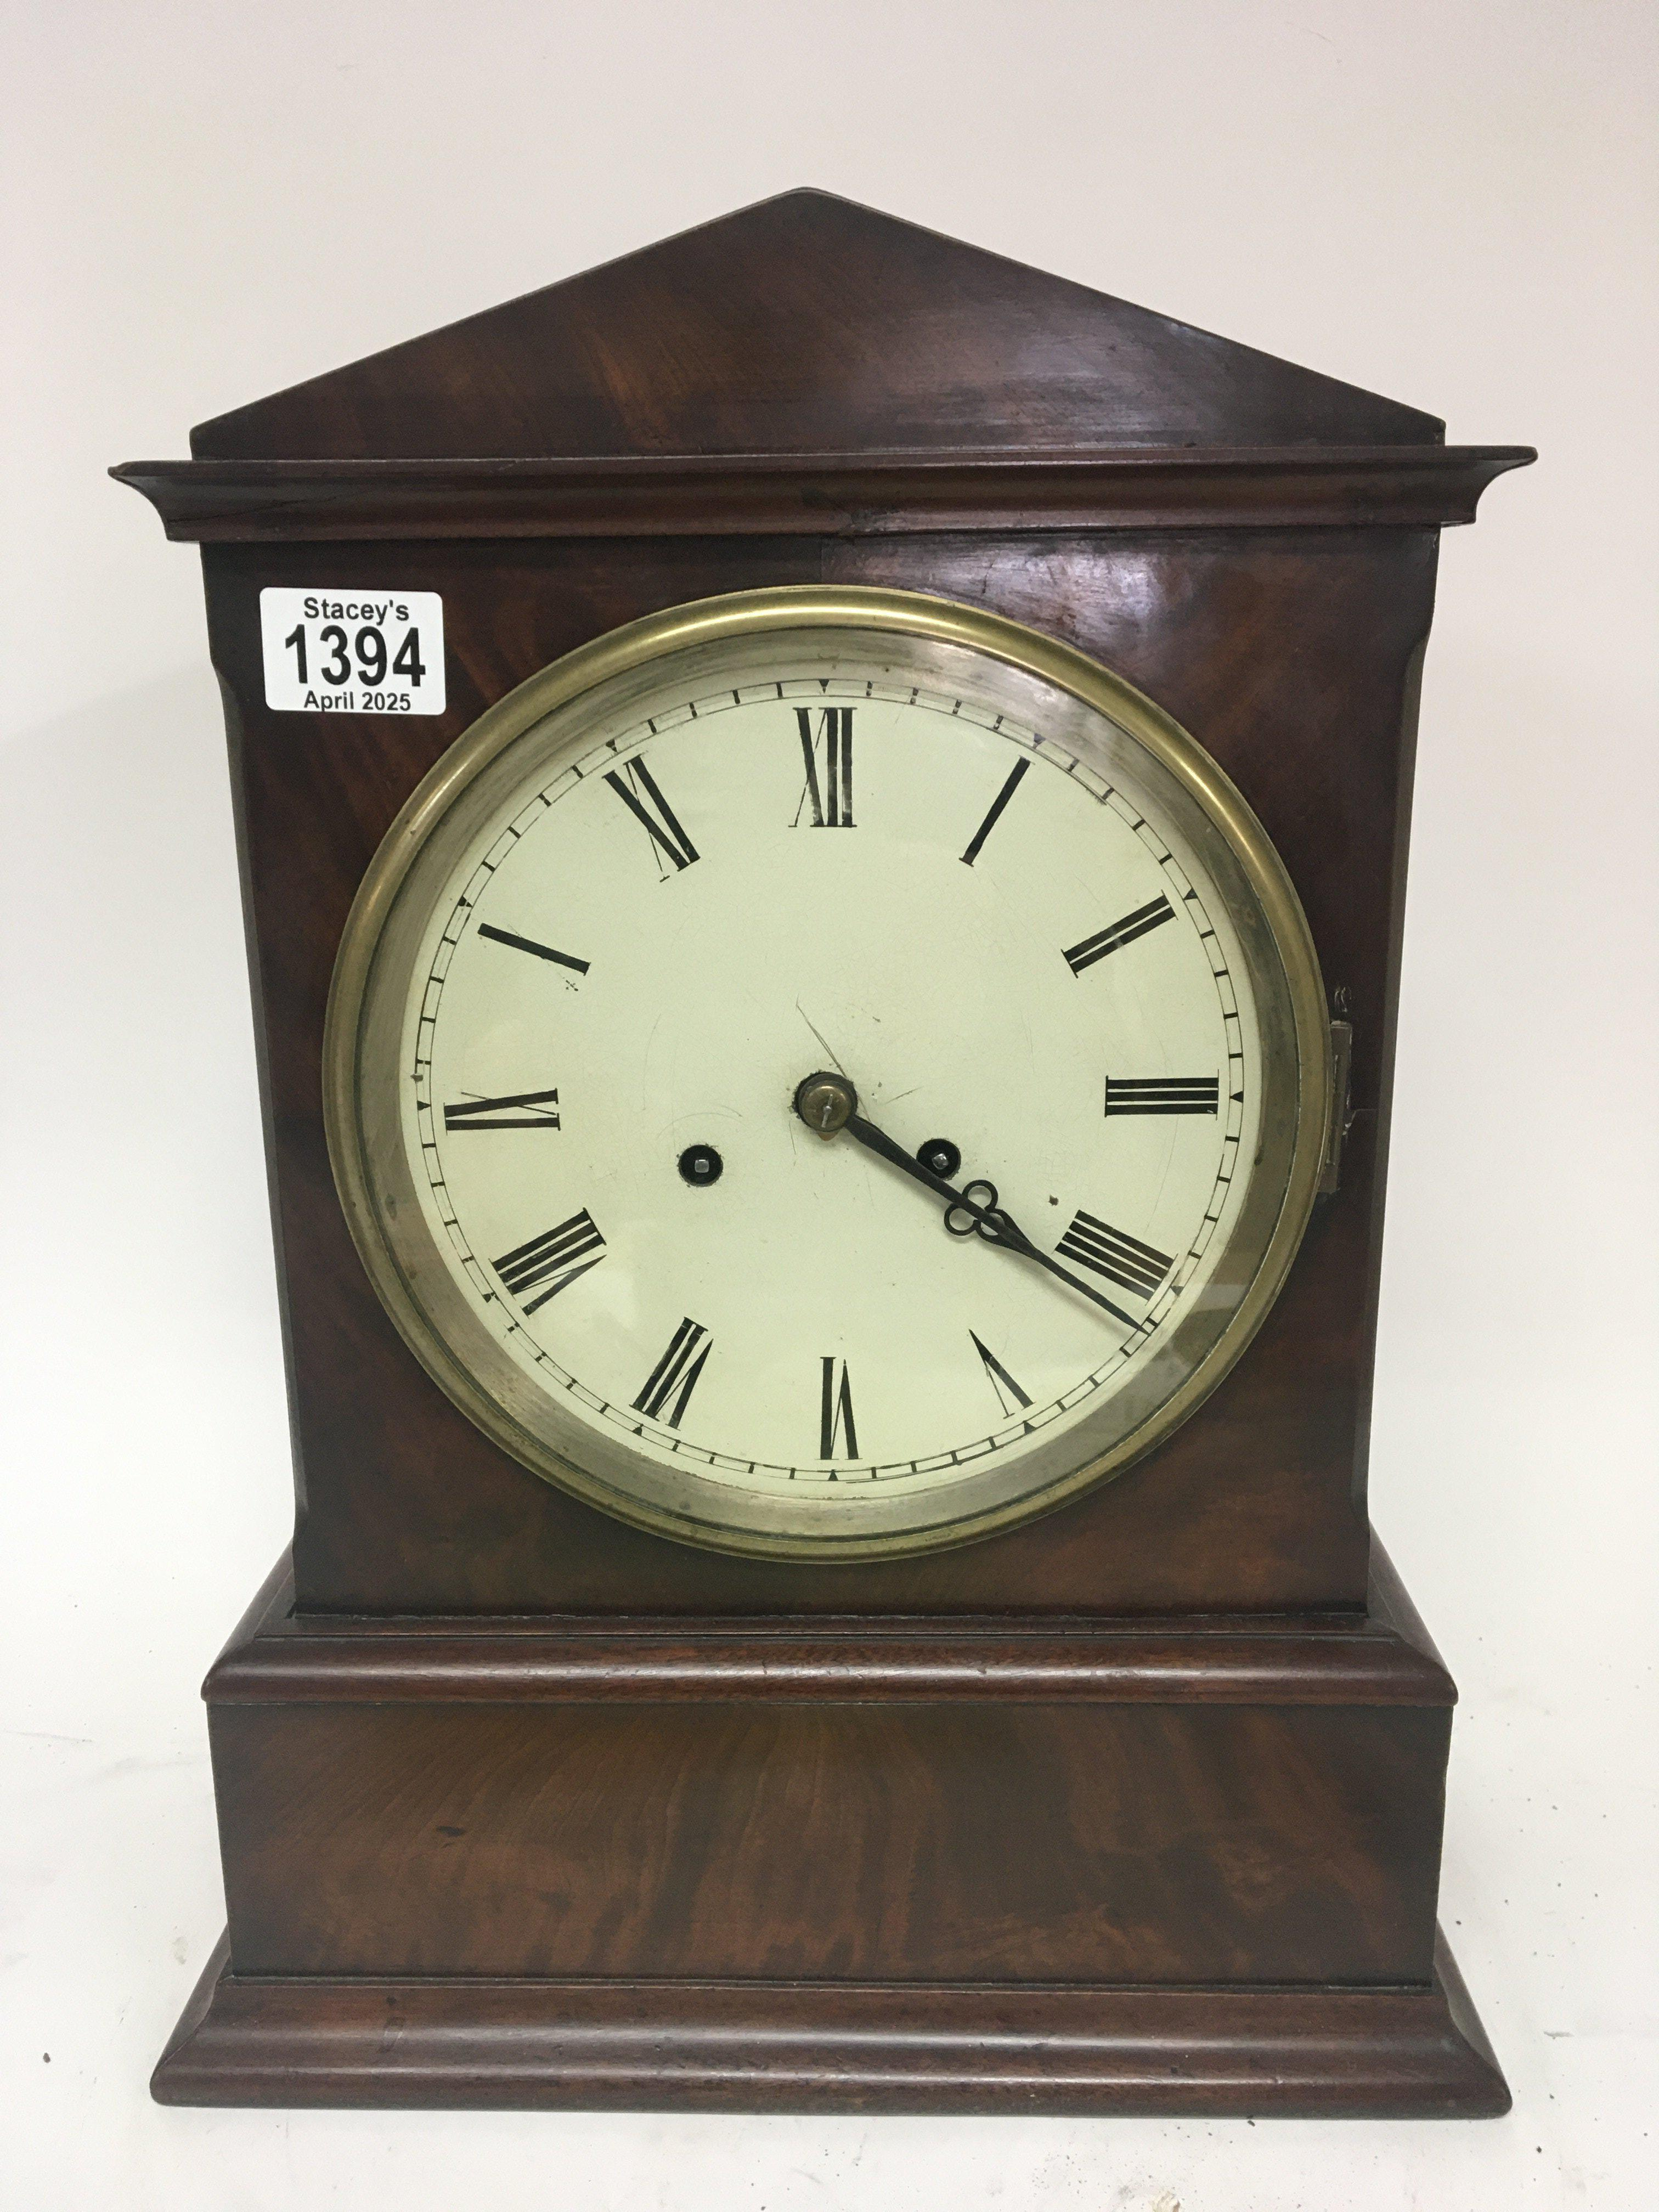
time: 4:20
